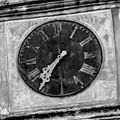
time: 7:36
